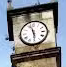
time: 11:29
